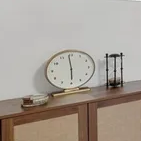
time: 5:58
